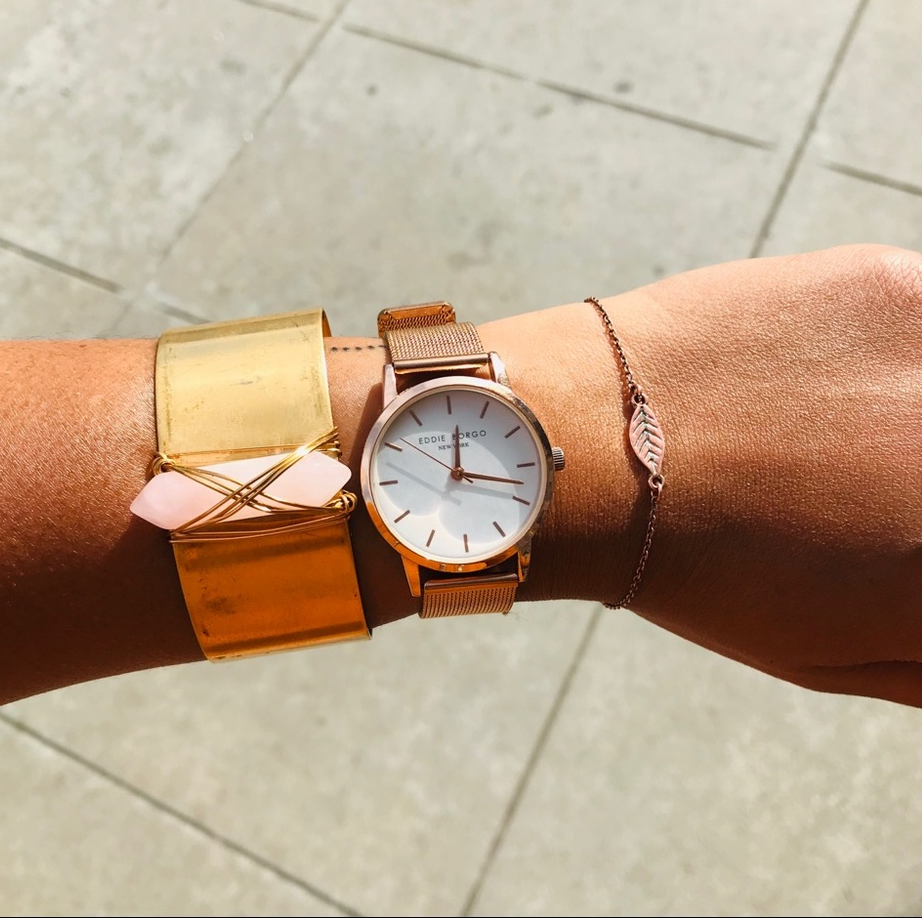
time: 12:17
